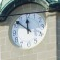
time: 11:51
